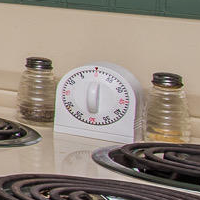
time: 6:00
